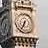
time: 6:34
